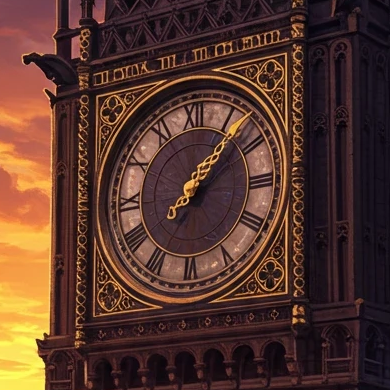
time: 1:07
